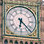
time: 6:22
